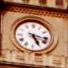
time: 5:17
